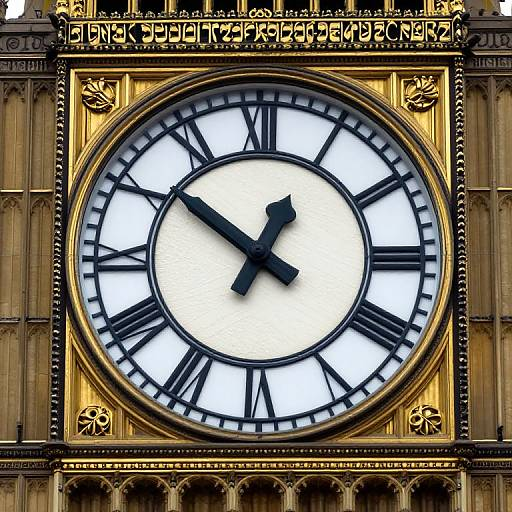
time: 12:51
